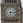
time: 6:15
